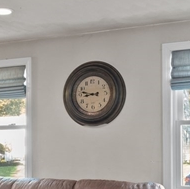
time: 8:47
